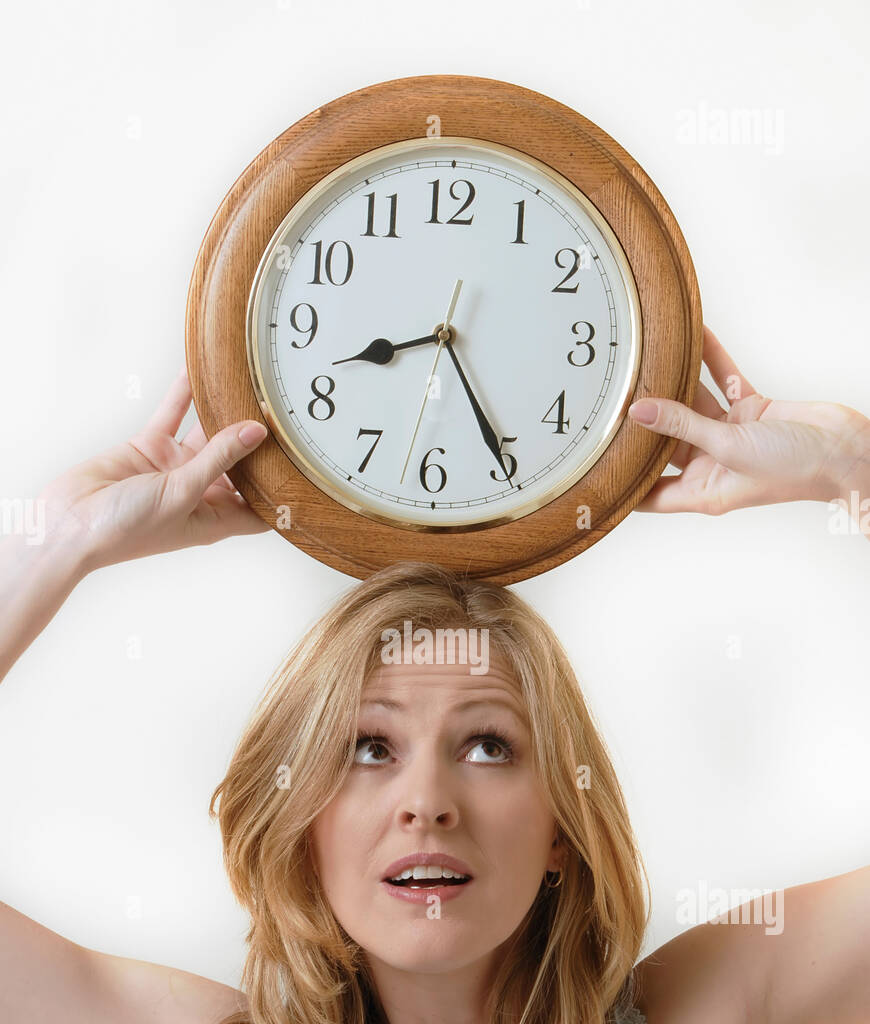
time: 8:25
